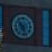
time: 10:27
